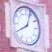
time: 8:03
